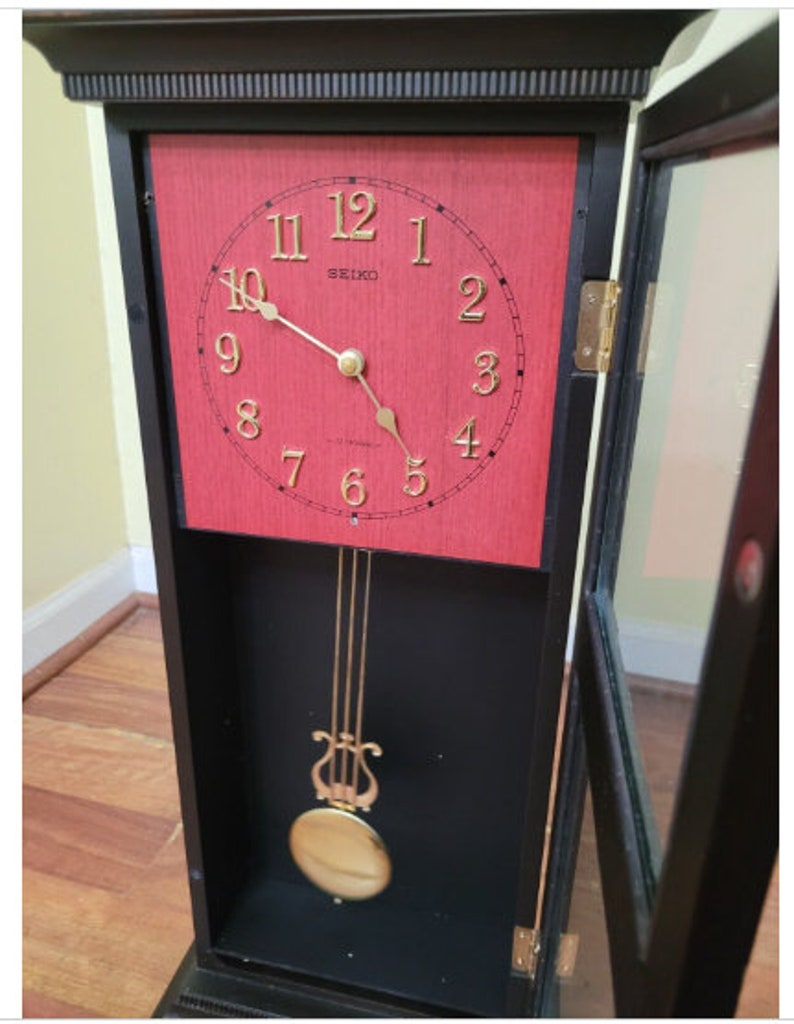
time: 4:49
